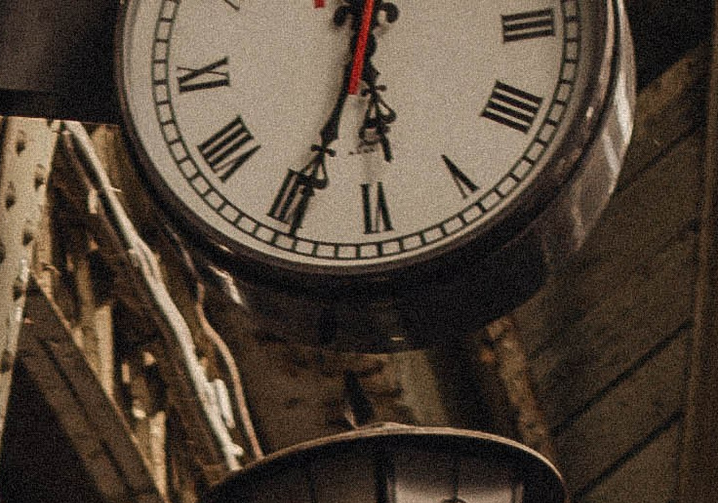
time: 5:33
